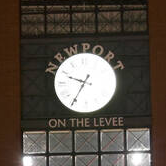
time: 9:35
